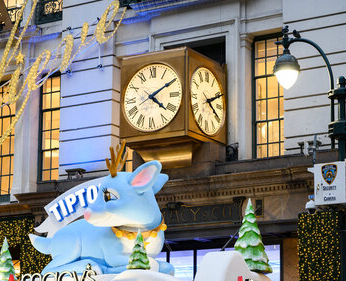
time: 4:10
